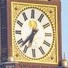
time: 6:37
